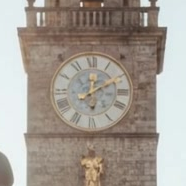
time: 12:10
